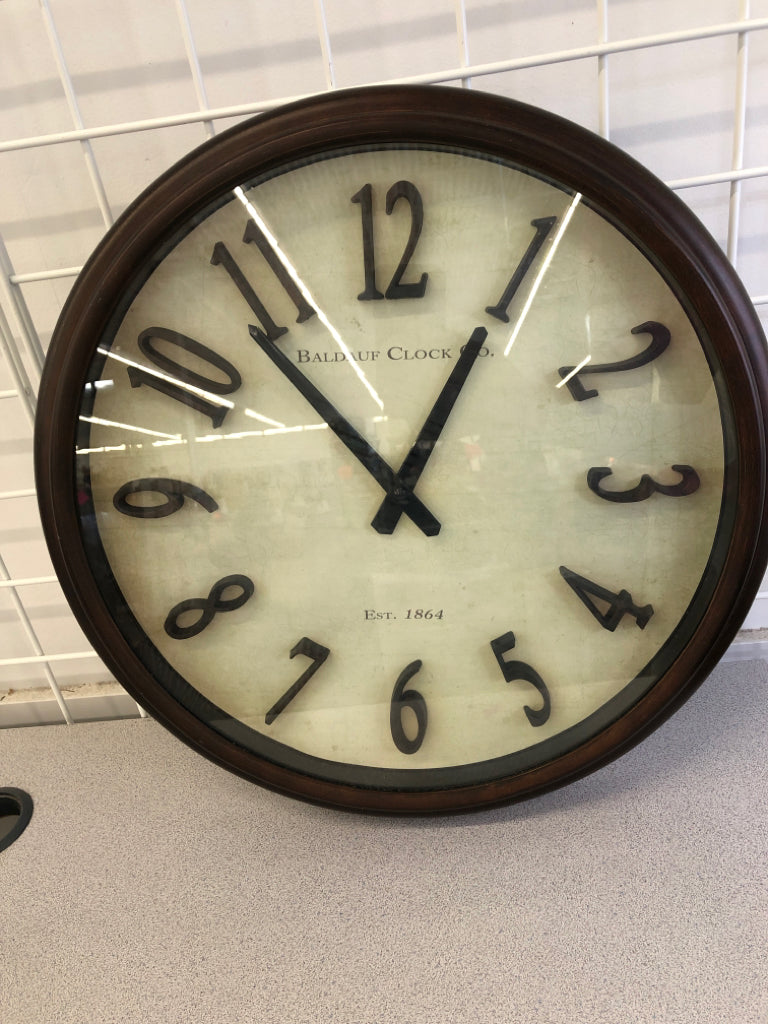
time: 12:53
